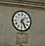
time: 1:24
